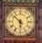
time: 5:51
